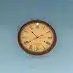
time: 10:40
